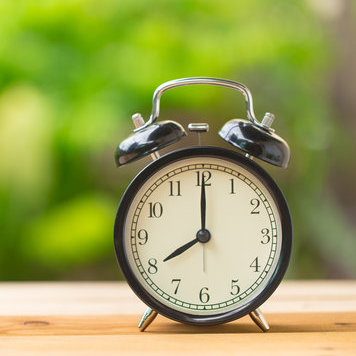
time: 8:00
